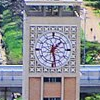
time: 1:28
